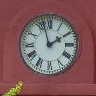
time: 1:57
